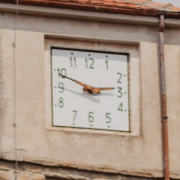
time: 2:49
